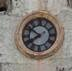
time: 7:50
